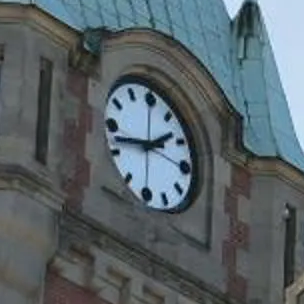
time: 1:42
